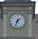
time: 1:33
